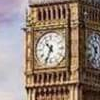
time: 10:34
